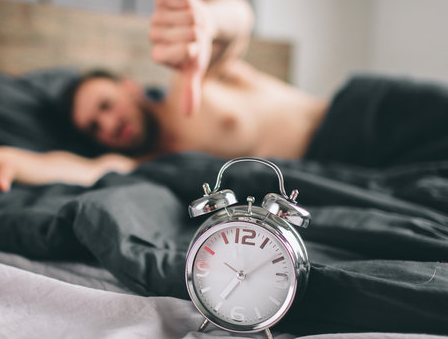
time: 7:09
